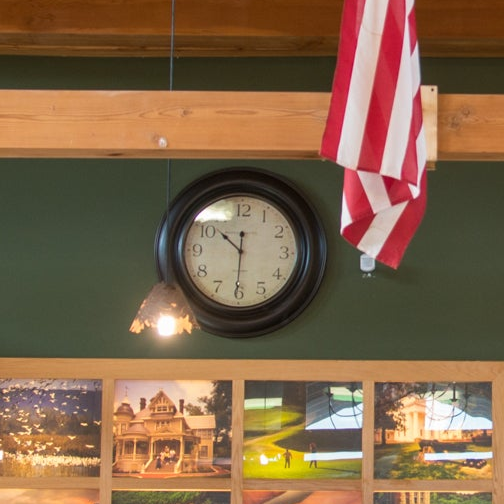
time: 10:30
